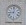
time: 9:01
